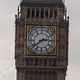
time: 2:38
